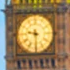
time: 9:29
